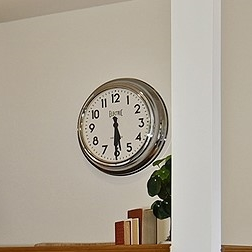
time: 5:30
